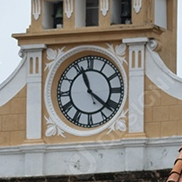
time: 11:21
